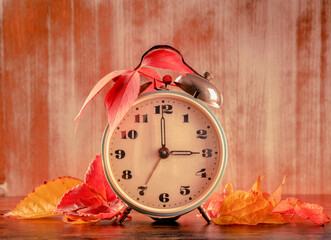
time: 2:59
